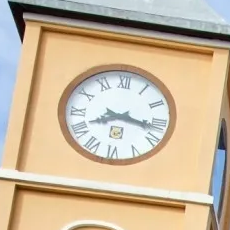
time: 8:16
